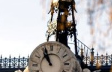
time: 10:56
